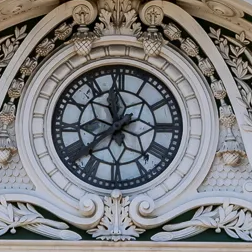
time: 11:37
